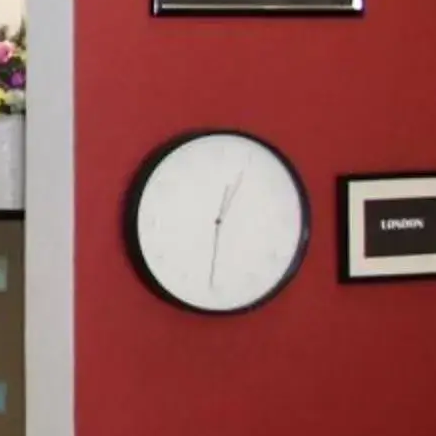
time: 12:31
